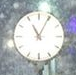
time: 11:04
